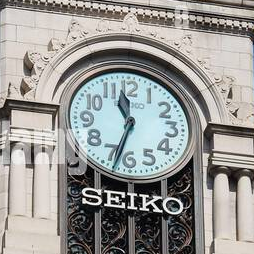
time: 11:33
